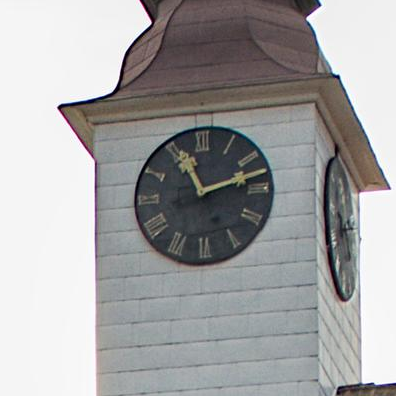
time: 11:12
